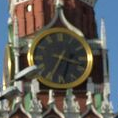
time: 3:34
